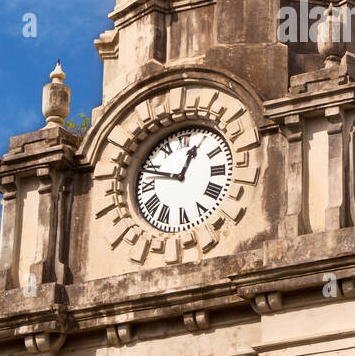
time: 12:47
